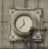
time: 11:37
